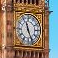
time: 11:25
